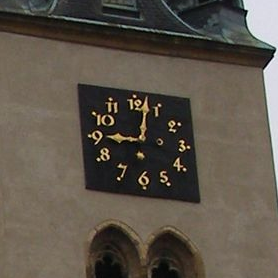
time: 9:02
